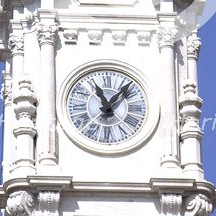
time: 11:07
